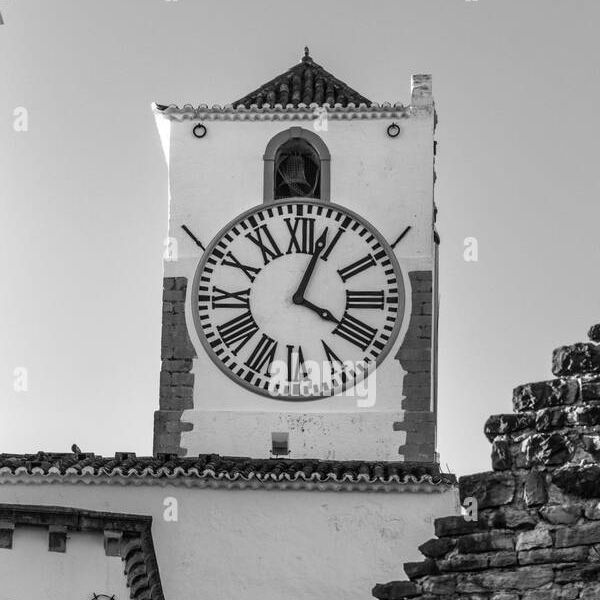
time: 4:03
